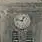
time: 12:47
